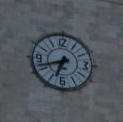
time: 6:41
